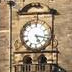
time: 5:17
